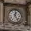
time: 12:24
